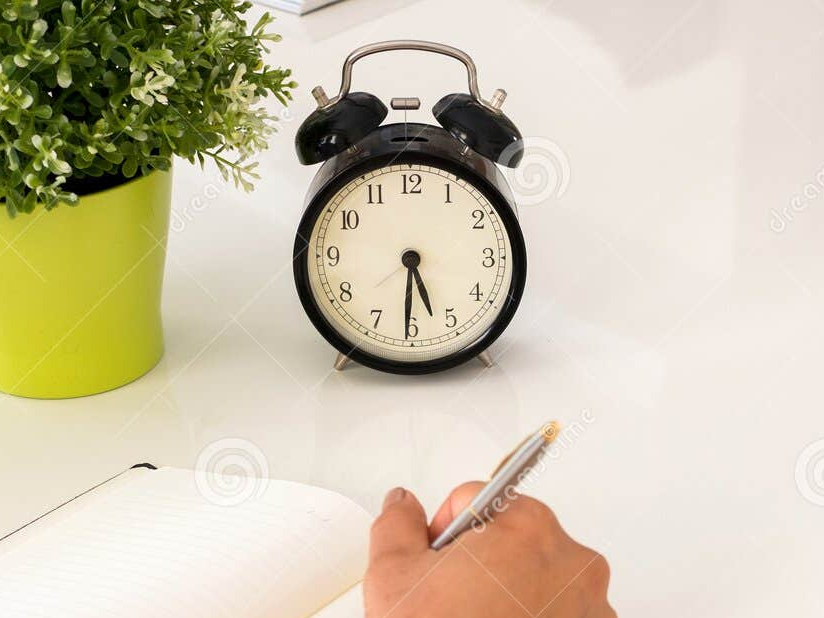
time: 5:30
